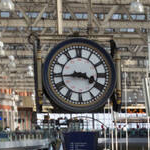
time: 3:43
